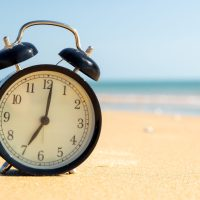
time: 7:01
